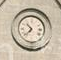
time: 10:37
